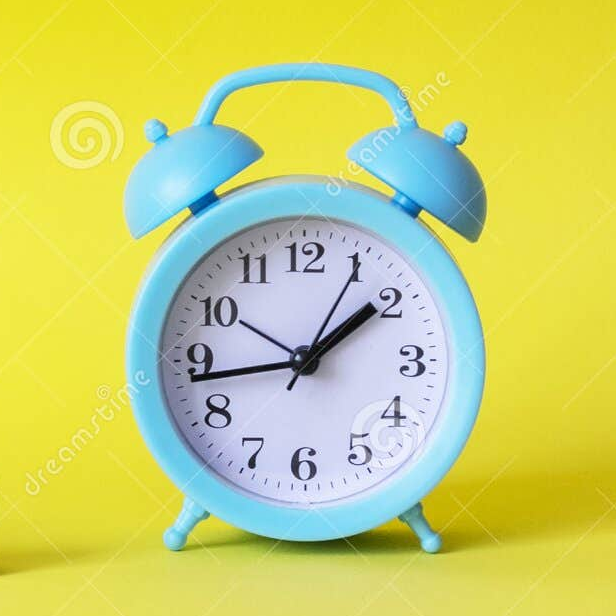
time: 1:43
